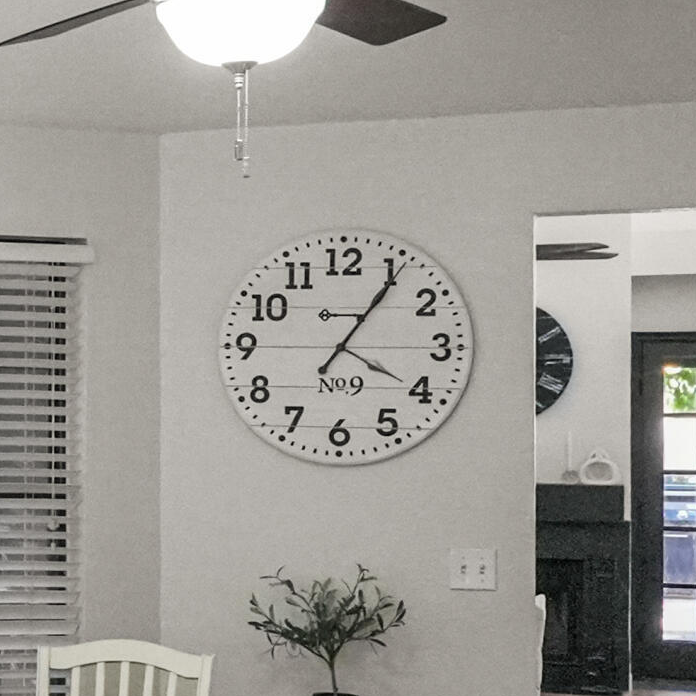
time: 4:05
